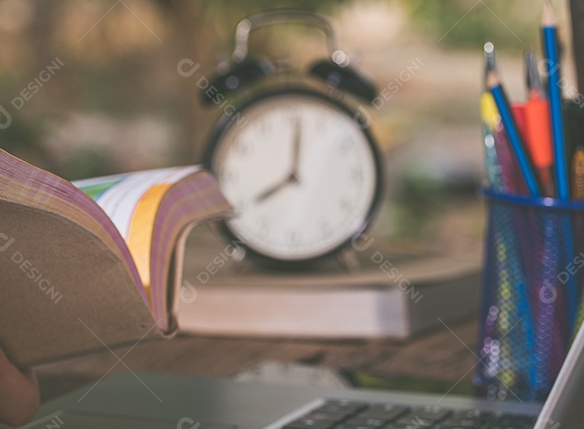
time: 8:01
